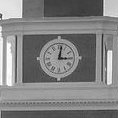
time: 3:01
